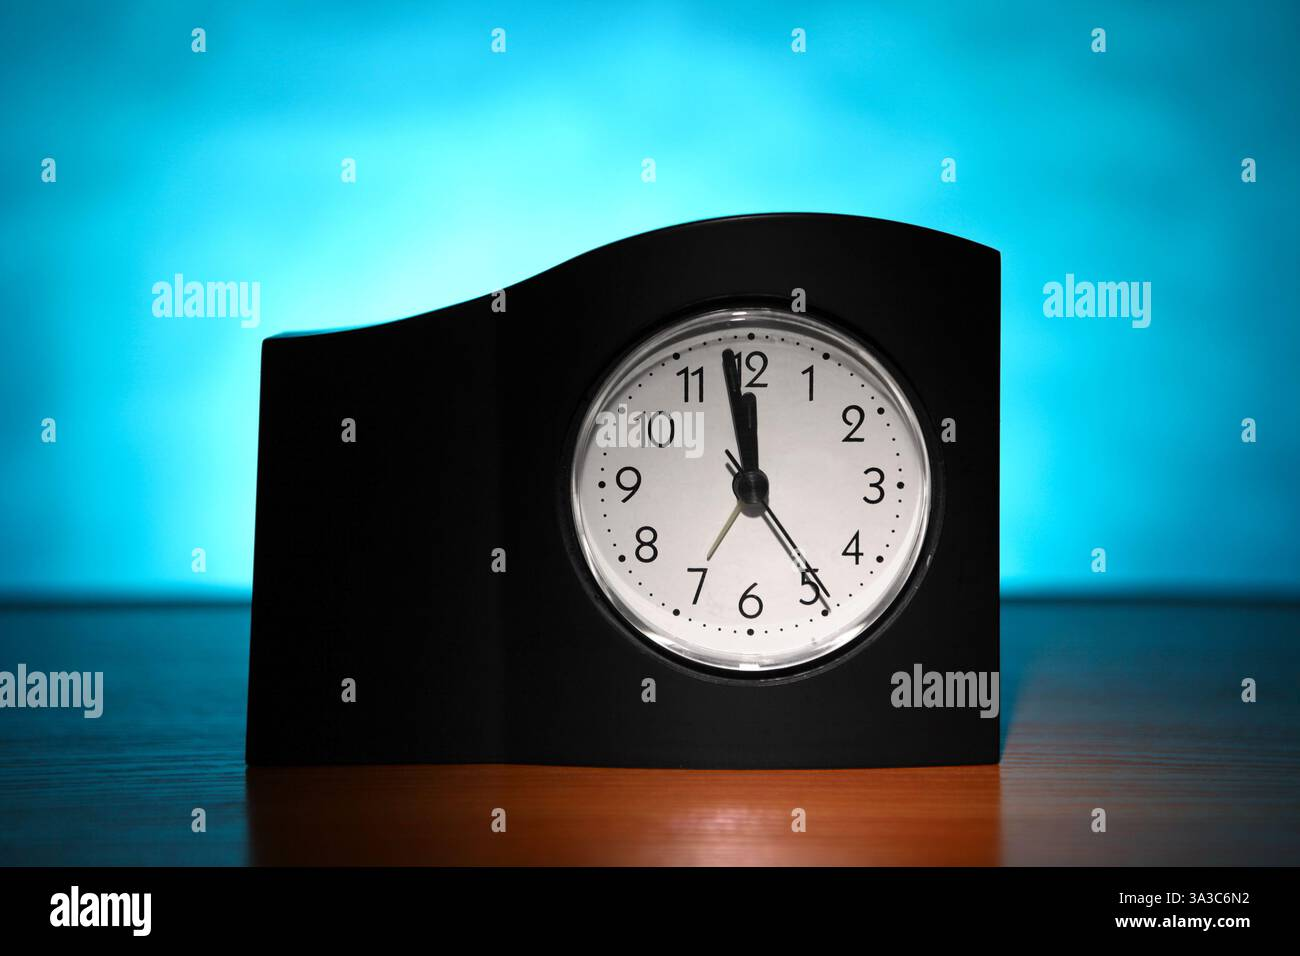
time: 11:58
